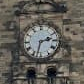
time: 2:32
